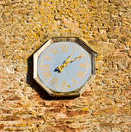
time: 1:09
